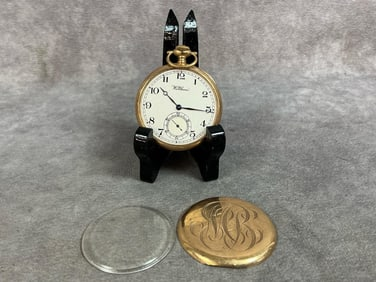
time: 10:15
